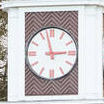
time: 2:57
